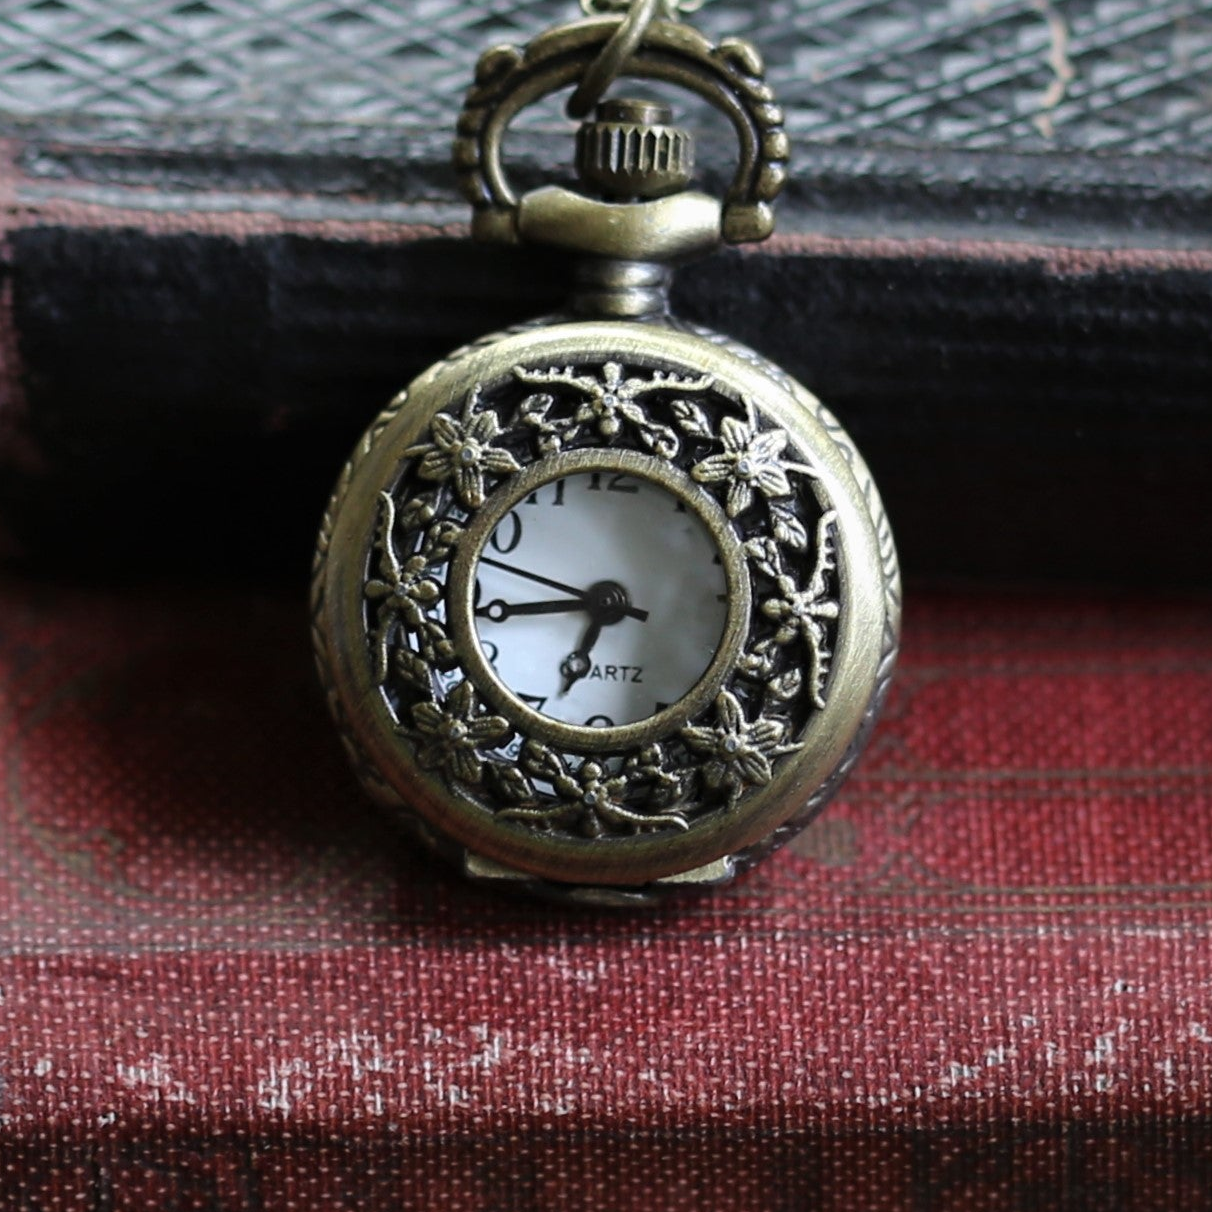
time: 6:44
